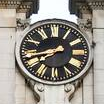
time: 7:42
